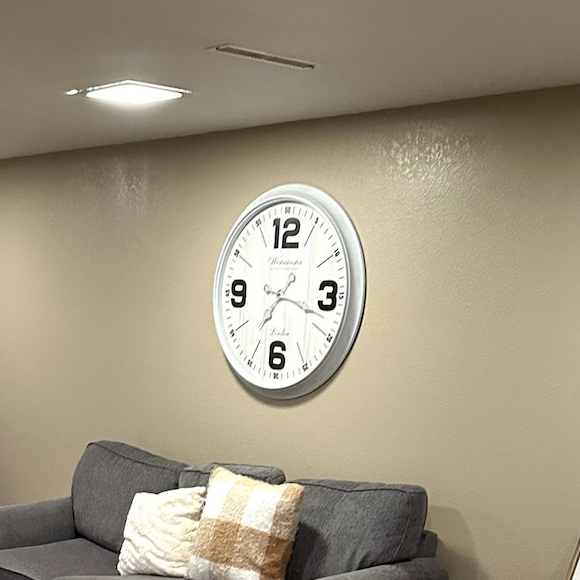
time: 7:17
